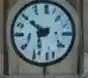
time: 5:49
